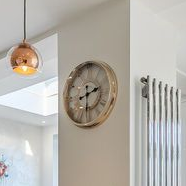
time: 2:29
